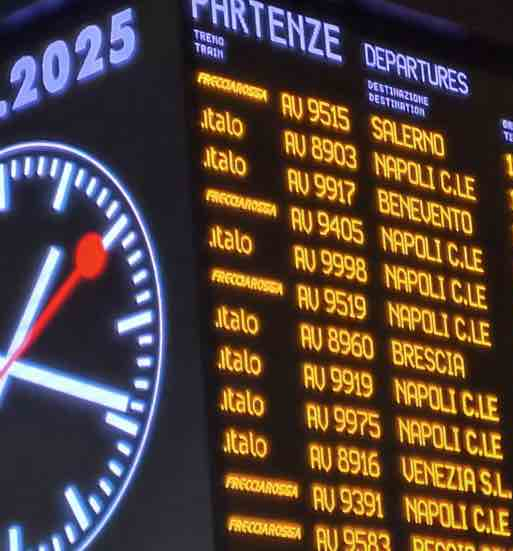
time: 1:18
